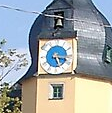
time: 5:17
